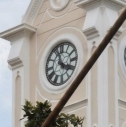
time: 3:57
